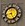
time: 8:25
